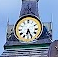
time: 6:25
